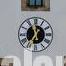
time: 11:35
